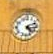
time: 4:12
